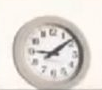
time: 9:08
